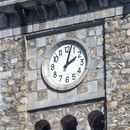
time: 2:02
